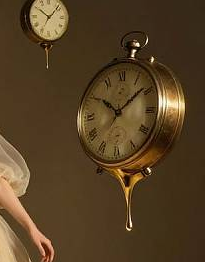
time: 10:08
